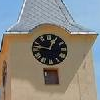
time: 12:46
